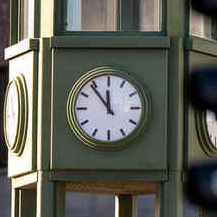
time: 11:53
